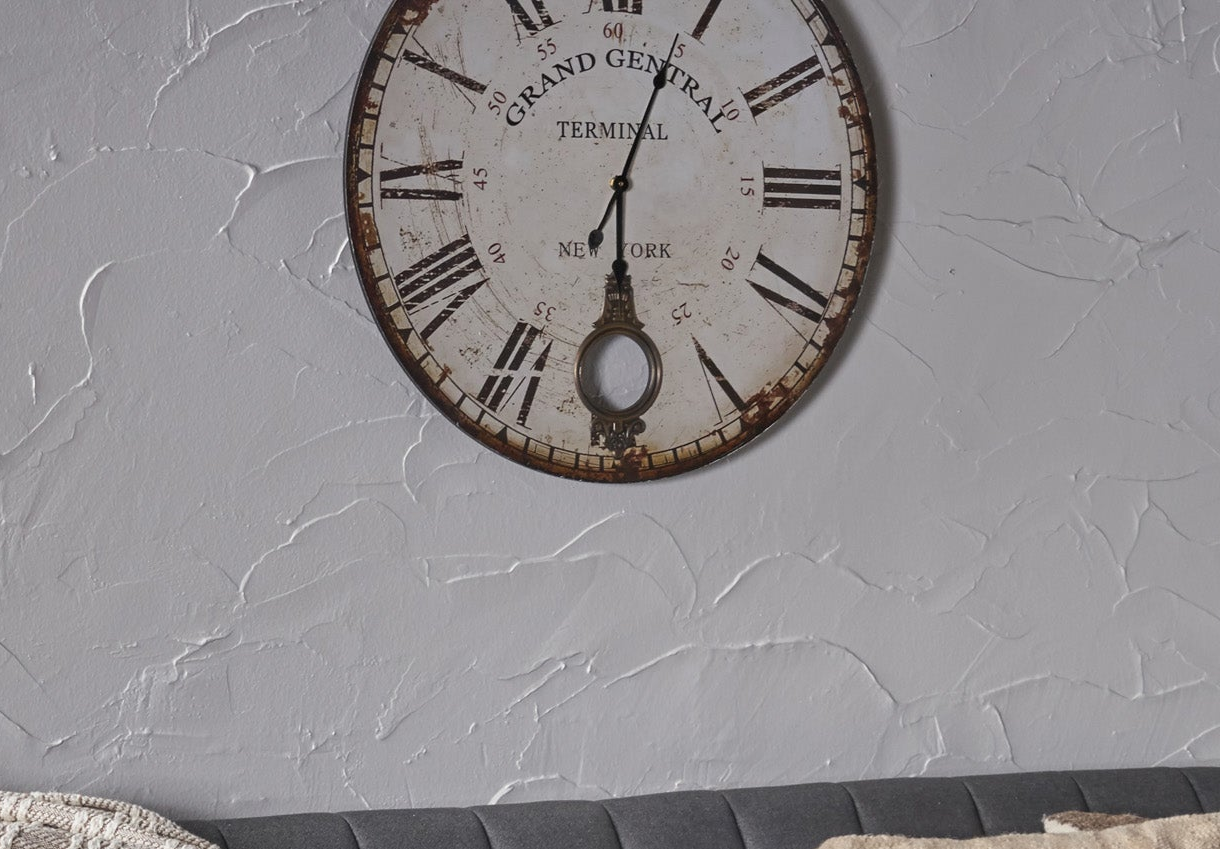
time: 6:03
